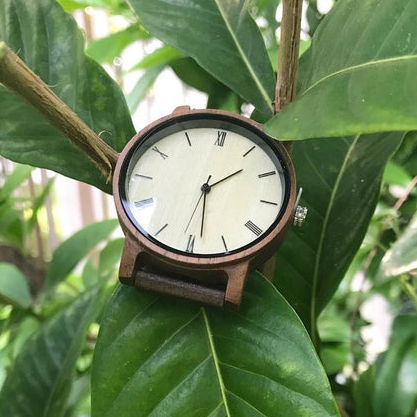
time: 1:28
